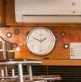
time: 1:49
